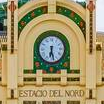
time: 6:27
